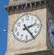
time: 2:23
